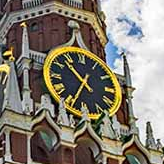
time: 10:34
